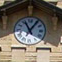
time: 11:05
